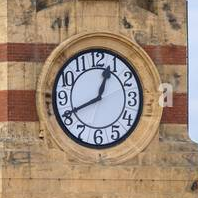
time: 12:40
